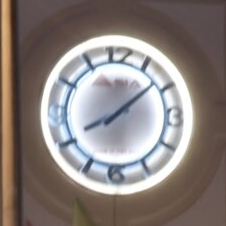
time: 8:08
